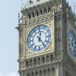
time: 12:23
